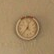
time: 12:36
